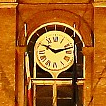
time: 10:12
